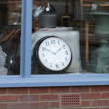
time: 1:50
